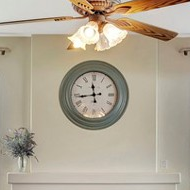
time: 11:43
